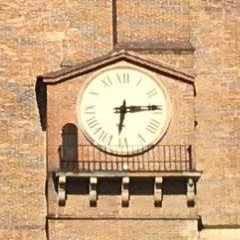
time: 6:14
